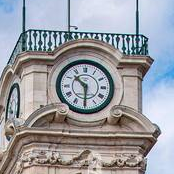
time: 10:30
